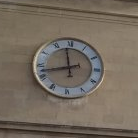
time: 11:42
